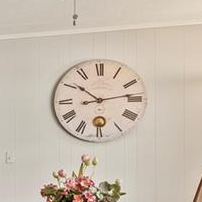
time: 10:13
